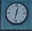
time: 12:32
